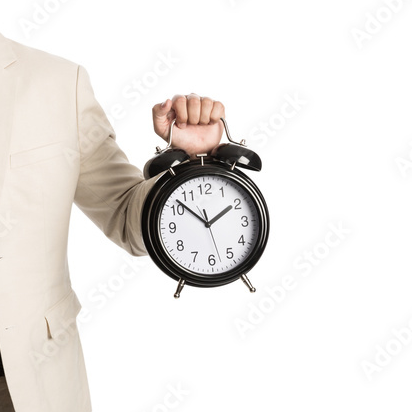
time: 1:52
